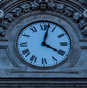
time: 4:02
